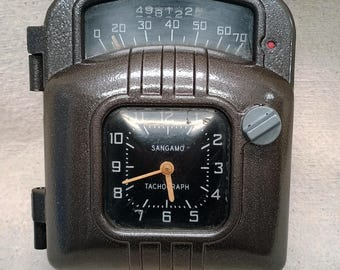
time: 5:41
